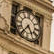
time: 4:37
